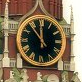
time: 11:53
